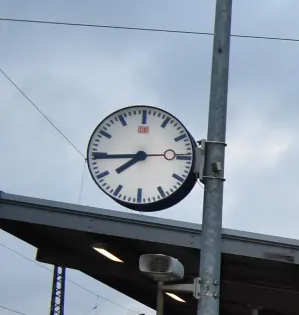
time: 7:44
